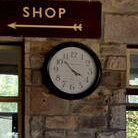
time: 3:52
